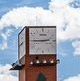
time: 2:44
